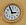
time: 2:56
